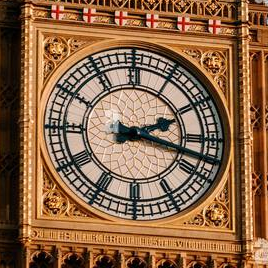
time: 2:17
